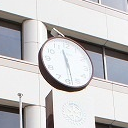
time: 11:28
